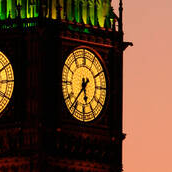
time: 5:36
